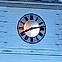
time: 8:13
